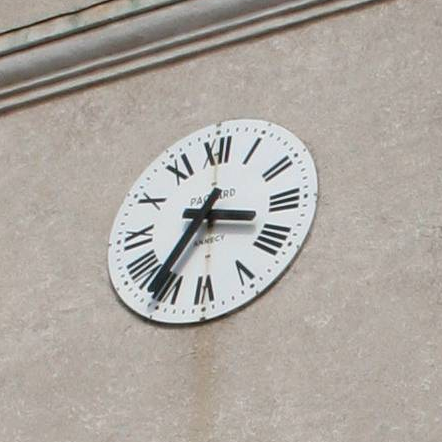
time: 3:35
